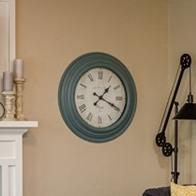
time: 1:19
